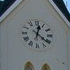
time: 12:21
